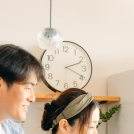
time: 2:19
